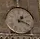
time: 1:18
